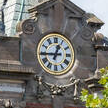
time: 12:44
